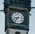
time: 8:36
